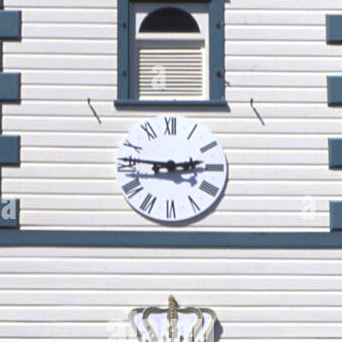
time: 2:46
